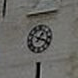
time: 1:18
